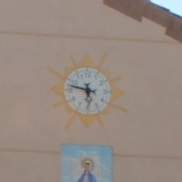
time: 5:47
